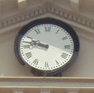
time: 9:47
